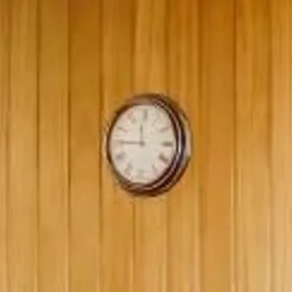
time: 11:45
